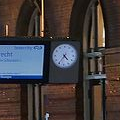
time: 4:35
